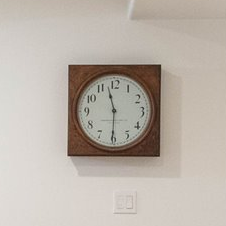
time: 11:30
